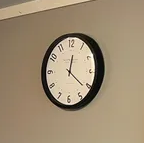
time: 12:21
